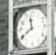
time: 11:40
